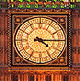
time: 4:14
